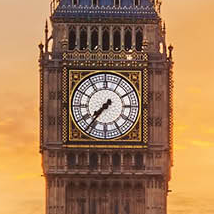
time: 7:36
